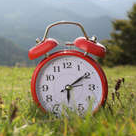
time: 6:09
